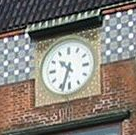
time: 10:33
